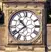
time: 10:38
